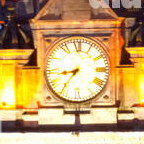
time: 8:36
